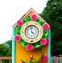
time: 3:58
